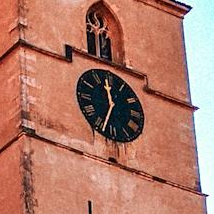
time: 11:33
